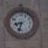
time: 8:33
